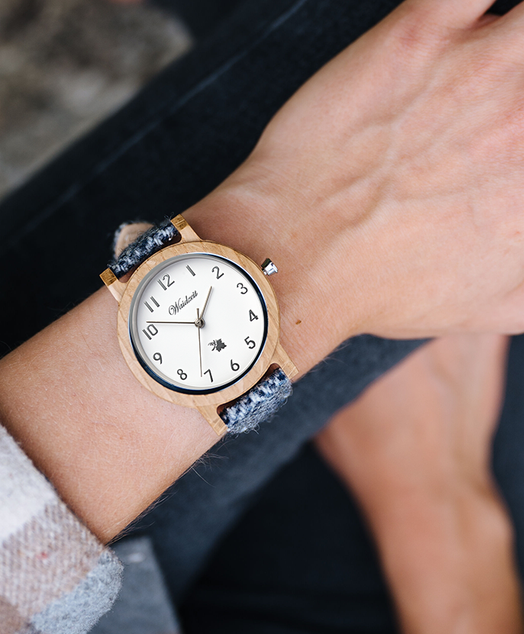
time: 12:46
